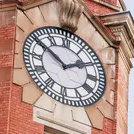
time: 1:50
